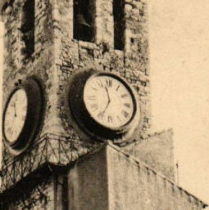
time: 11:34
